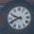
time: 9:41
